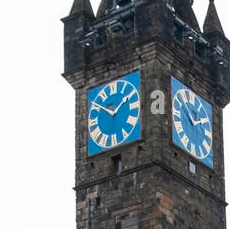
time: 1:50
